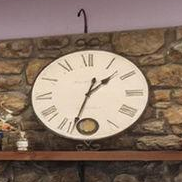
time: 1:32
